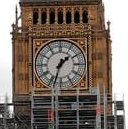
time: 1:33
